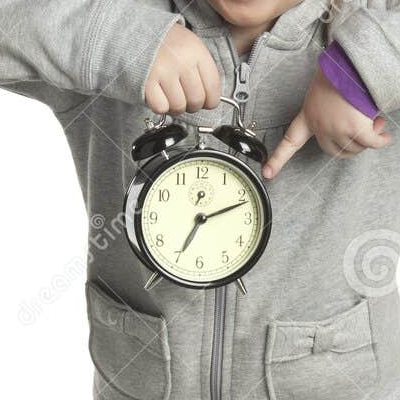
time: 7:11
